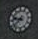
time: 9:38
